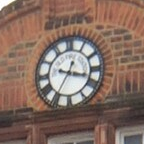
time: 3:35
